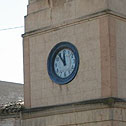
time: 11:53
